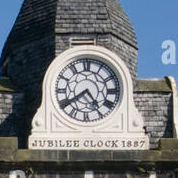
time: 4:39
